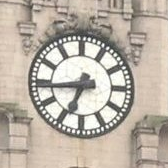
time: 6:43
